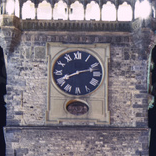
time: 8:12
